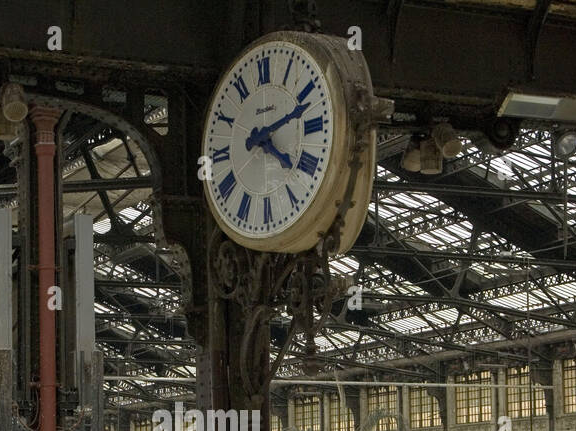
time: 4:12
